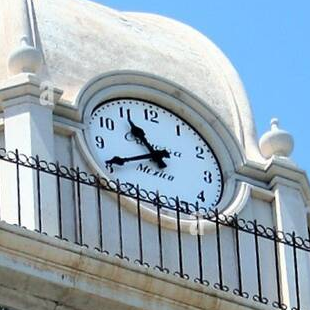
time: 10:40
